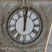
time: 12:01
